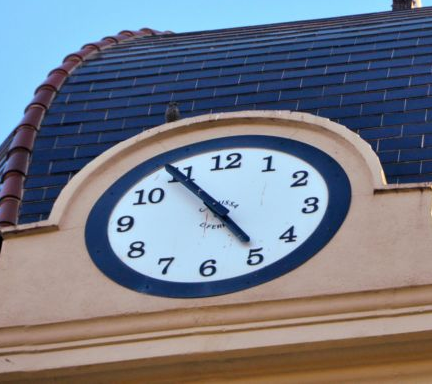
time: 4:54
